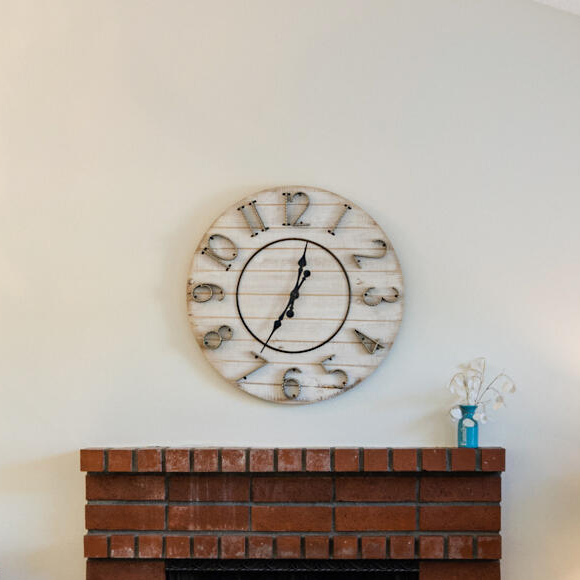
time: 12:34
